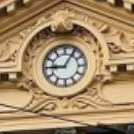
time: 9:05
